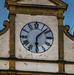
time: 6:08
